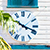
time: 10:18
